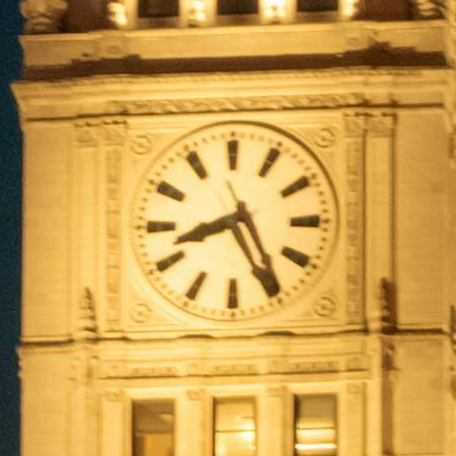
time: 8:25
